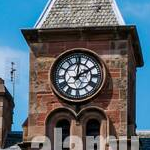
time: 2:00
